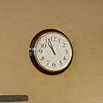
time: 10:56
